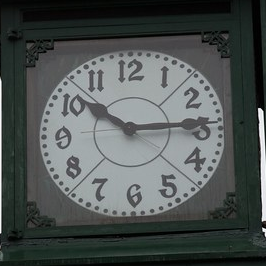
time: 10:14
